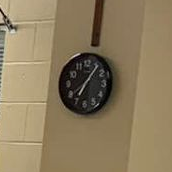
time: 7:05
